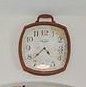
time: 4:37
